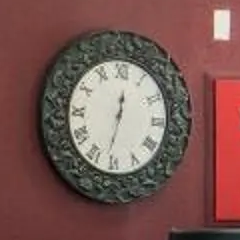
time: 12:32
